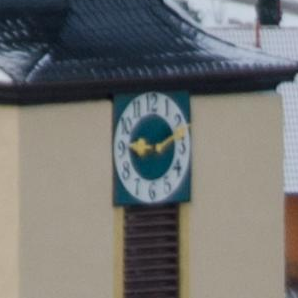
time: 9:12
